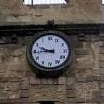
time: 9:44
